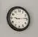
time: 9:13
